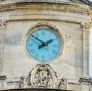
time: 1:50
